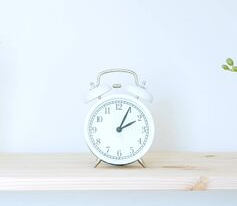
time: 2:04
